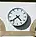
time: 4:38
